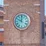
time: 10:00
